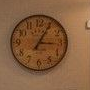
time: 3:04
